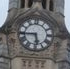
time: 5:44
